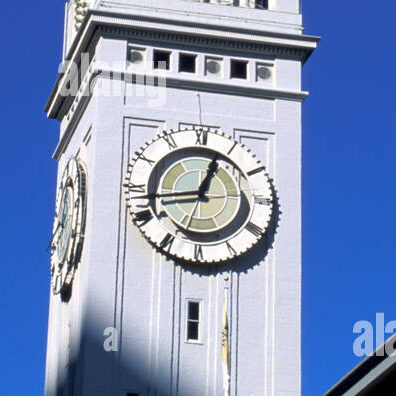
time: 12:43
